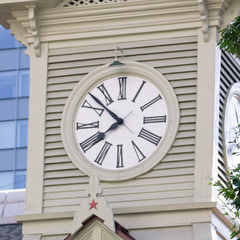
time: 7:52
